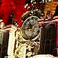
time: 10:42
